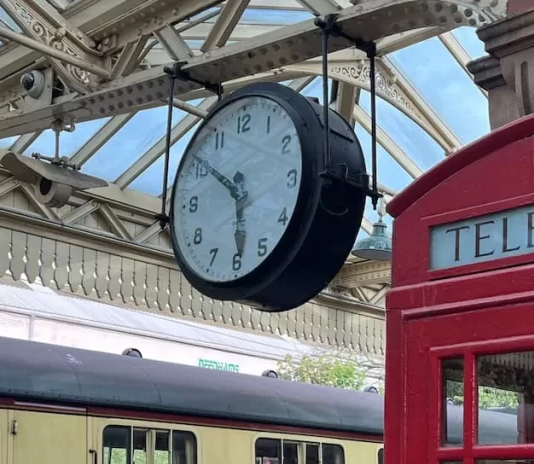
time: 5:51
